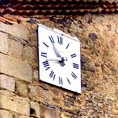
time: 10:42
